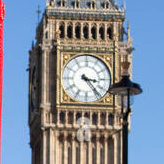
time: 3:23
